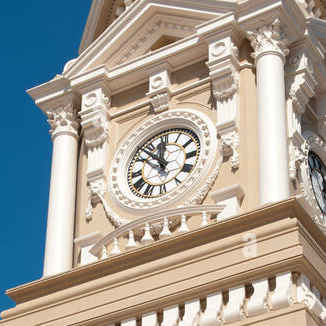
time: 11:52
